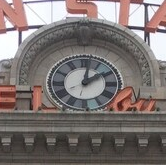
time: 2:01
